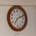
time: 7:11
